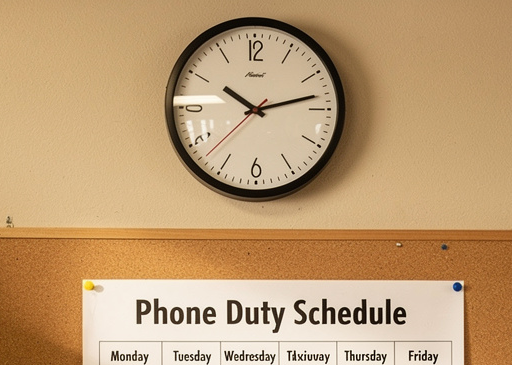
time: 10:12
